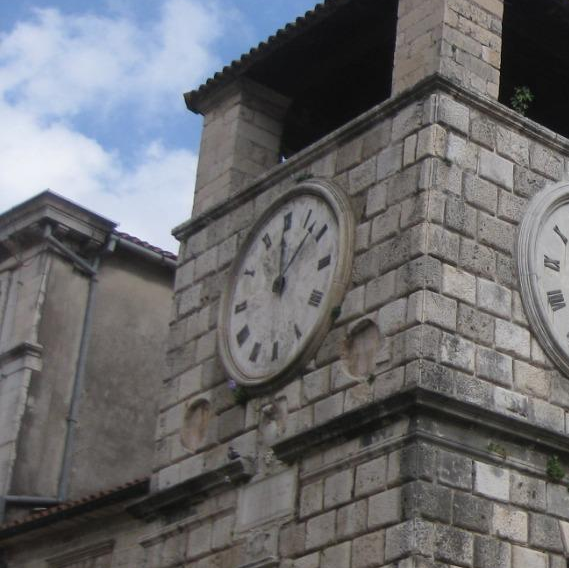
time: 12:07
